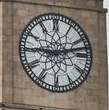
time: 9:12
